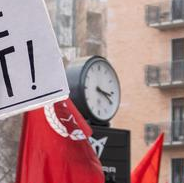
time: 3:19
